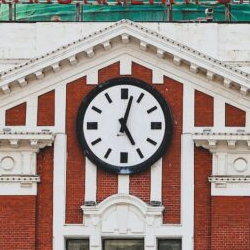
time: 5:02
